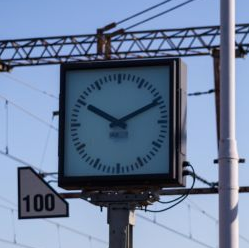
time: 10:10
